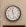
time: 11:28
